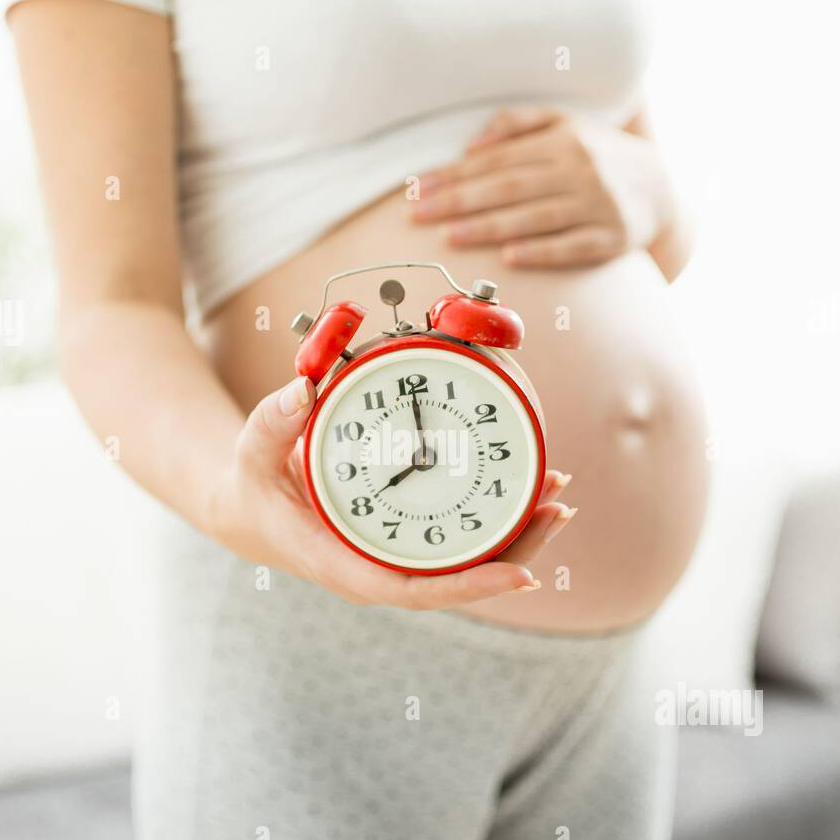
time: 8:00
